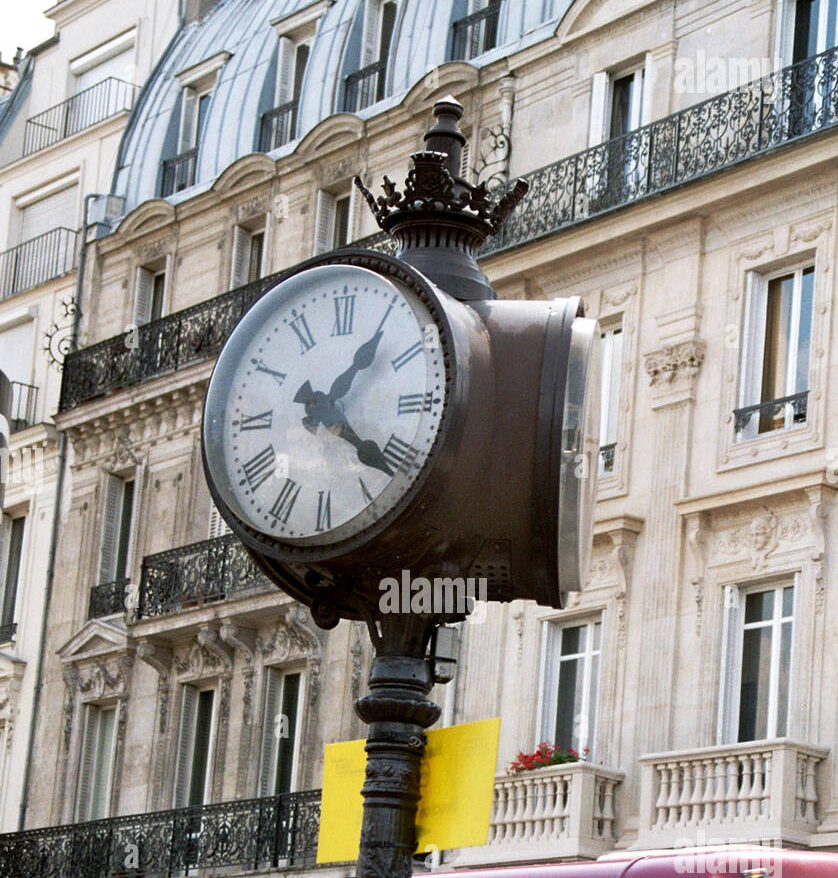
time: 1:21
